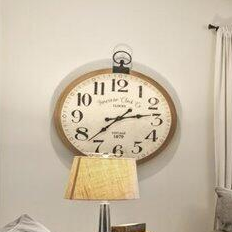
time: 2:37
